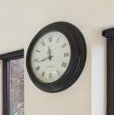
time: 11:42
